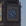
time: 4:21
